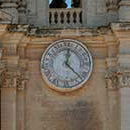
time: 12:22
